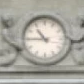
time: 10:45
